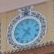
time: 10:36
